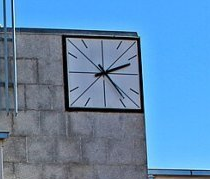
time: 2:23
